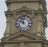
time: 9:57
